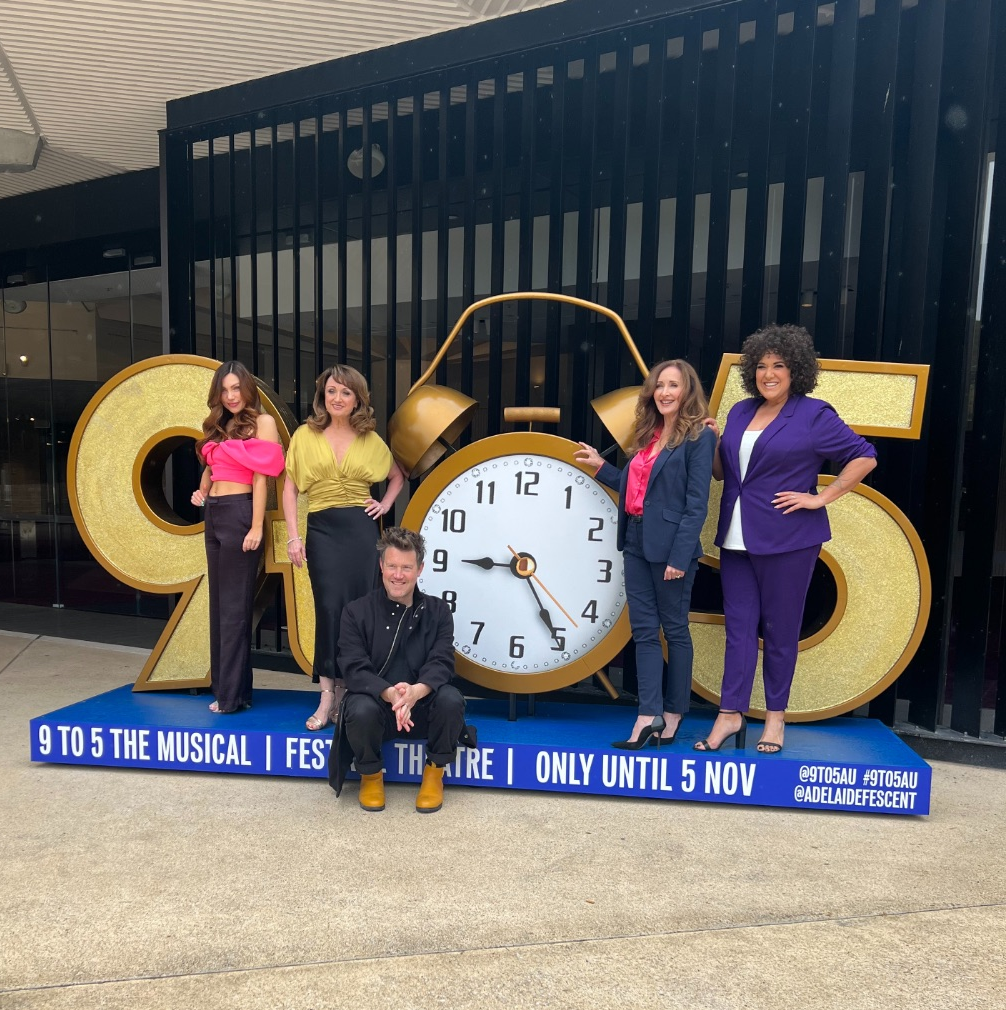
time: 9:25
